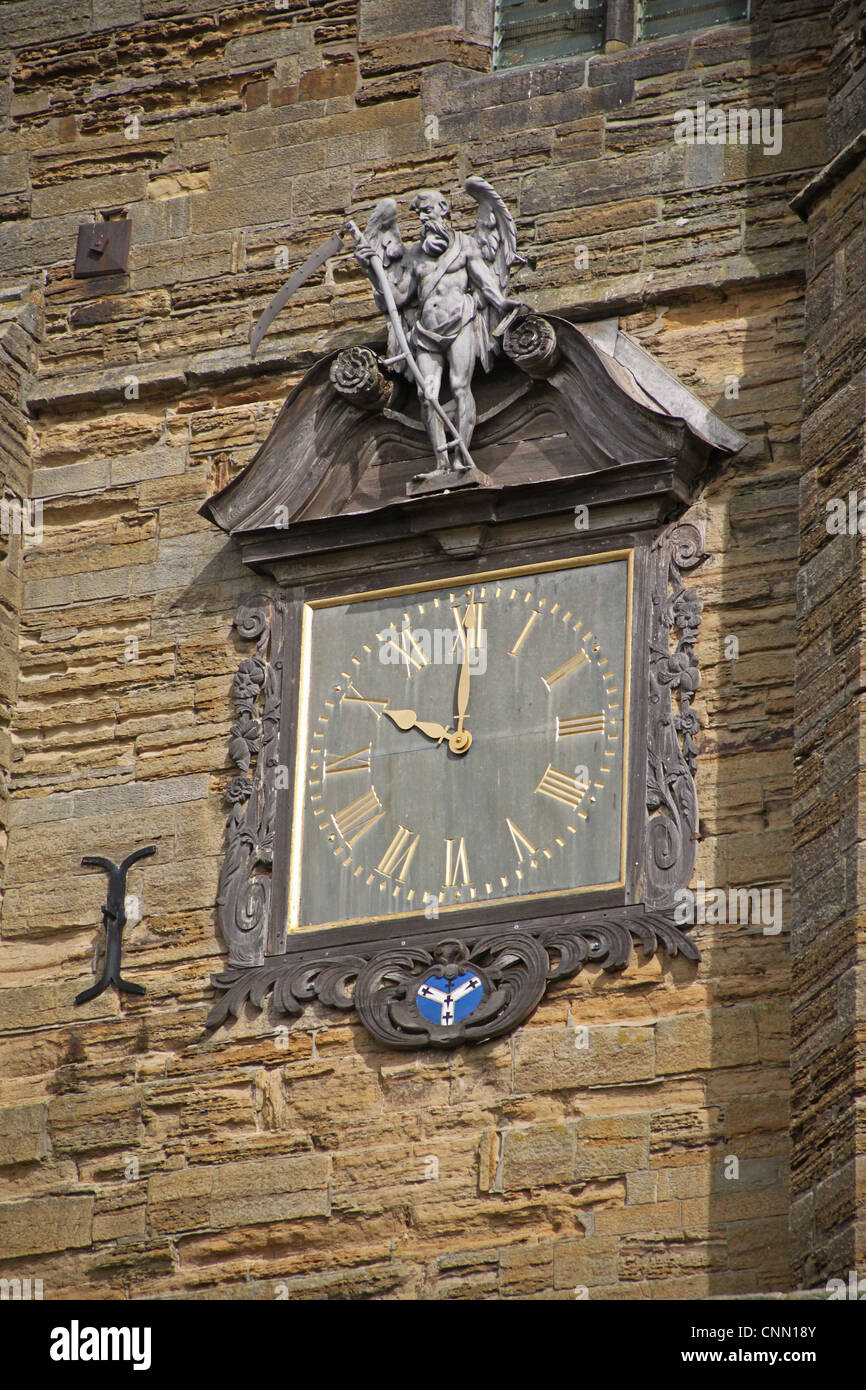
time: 10:00
